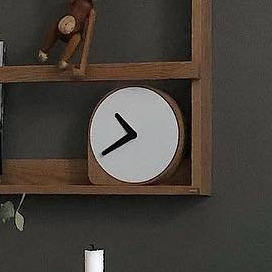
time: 10:39
